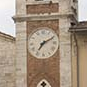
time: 7:10
